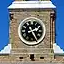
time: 2:25
